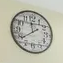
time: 11:39
